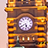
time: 5:40
